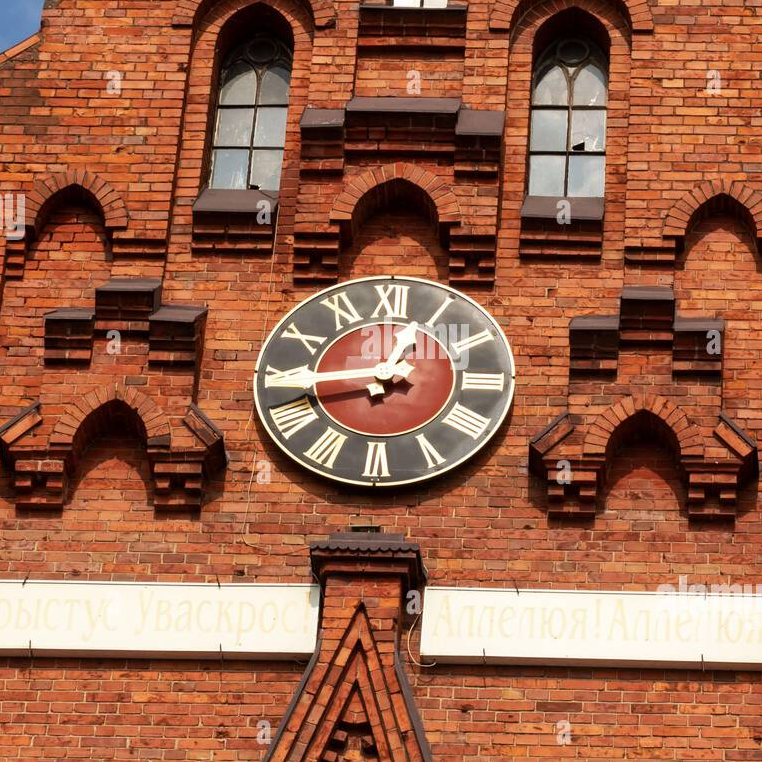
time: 12:44
